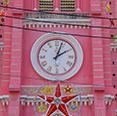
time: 2:03
